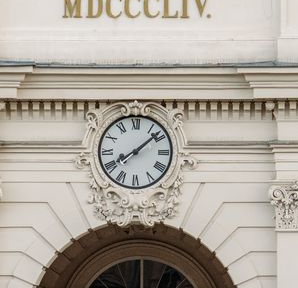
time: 8:08
